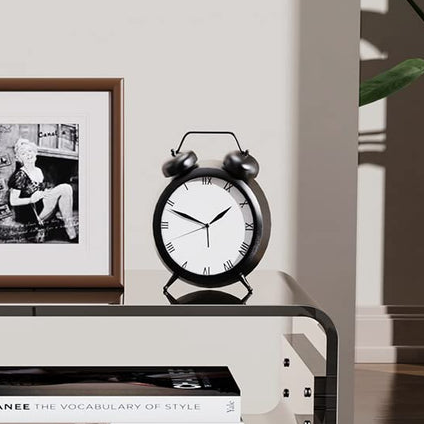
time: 1:48
